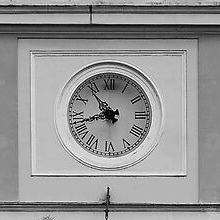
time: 10:42
